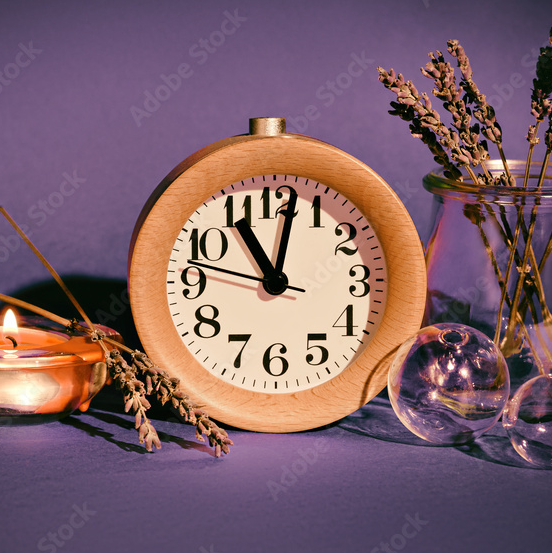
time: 11:01
